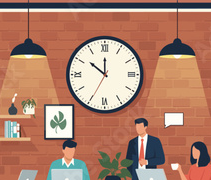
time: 11:51
